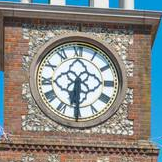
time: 6:30
